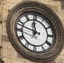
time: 11:47
